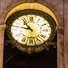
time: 10:47
